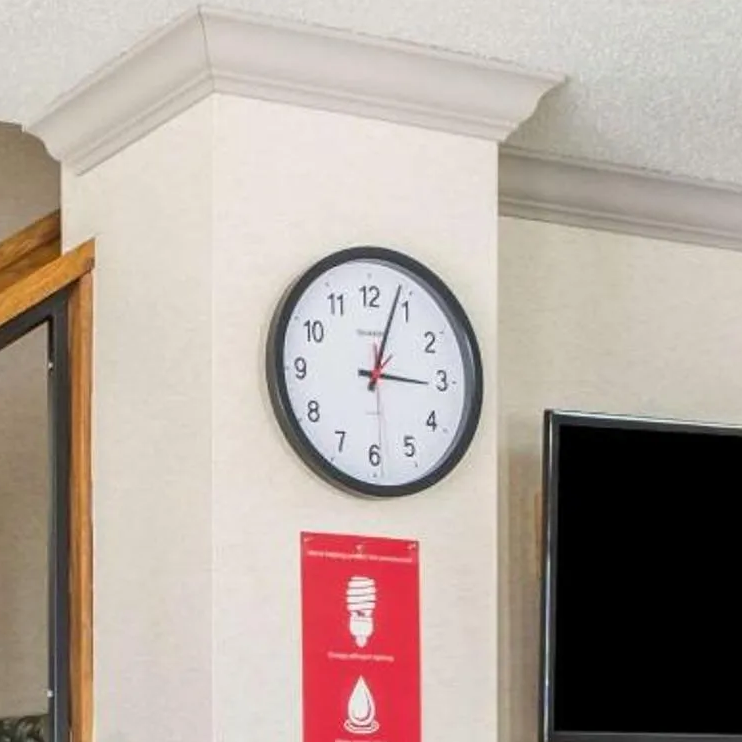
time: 3:03
